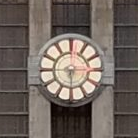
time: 6:14
